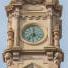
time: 7:00
